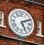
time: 5:11
